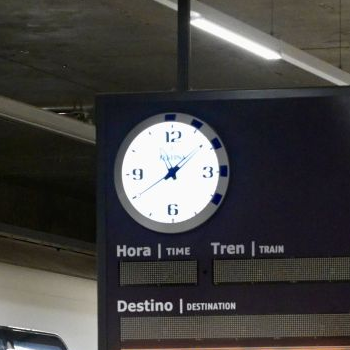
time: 8:09
